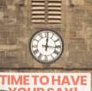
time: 12:16
